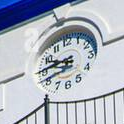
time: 9:45
